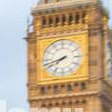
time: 7:42
